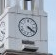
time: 4:20
